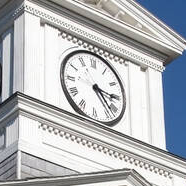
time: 3:22
